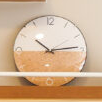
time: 10:13
